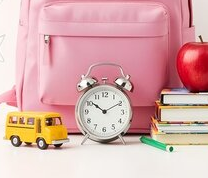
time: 10:10
